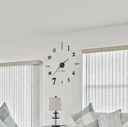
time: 1:37
